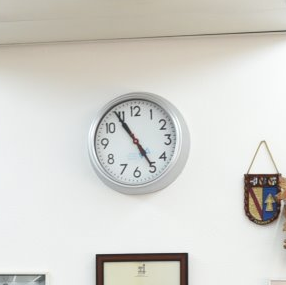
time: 4:54
